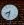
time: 8:32
